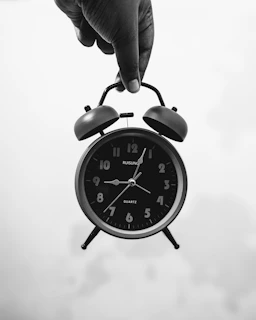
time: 9:03
